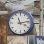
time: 11:13
